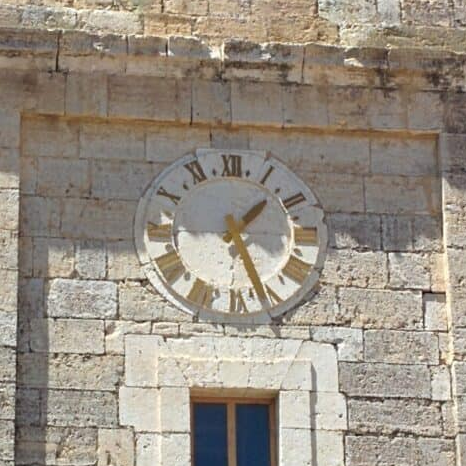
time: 1:26
